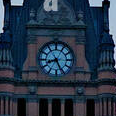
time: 8:26
